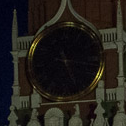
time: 5:16
